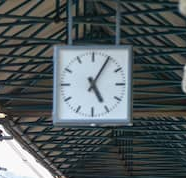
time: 5:05
